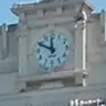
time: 11:49
